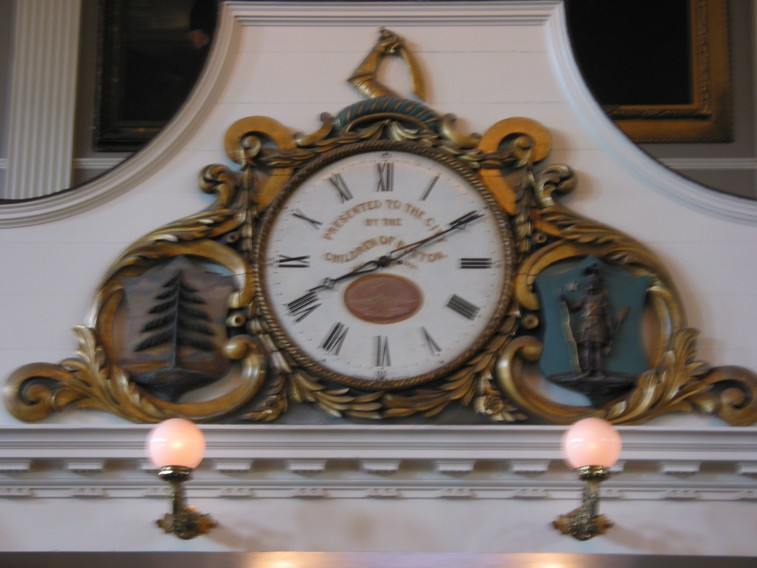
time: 8:09
